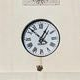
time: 12:52
